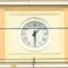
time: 1:29
